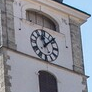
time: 11:07
